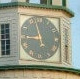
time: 8:57
